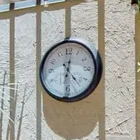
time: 12:23
